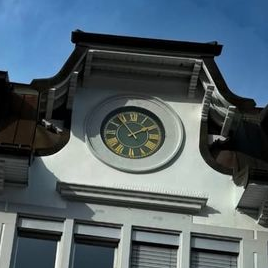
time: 1:53
